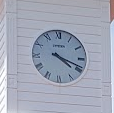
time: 4:18
